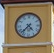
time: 4:37
